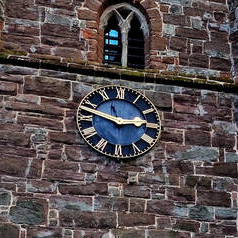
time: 2:47
